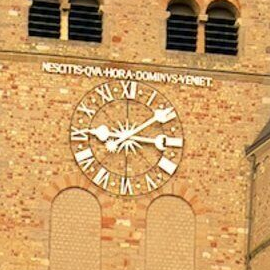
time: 3:08
